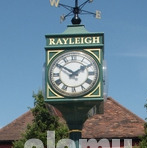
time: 1:50
